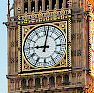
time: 9:01
